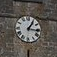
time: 1:16
